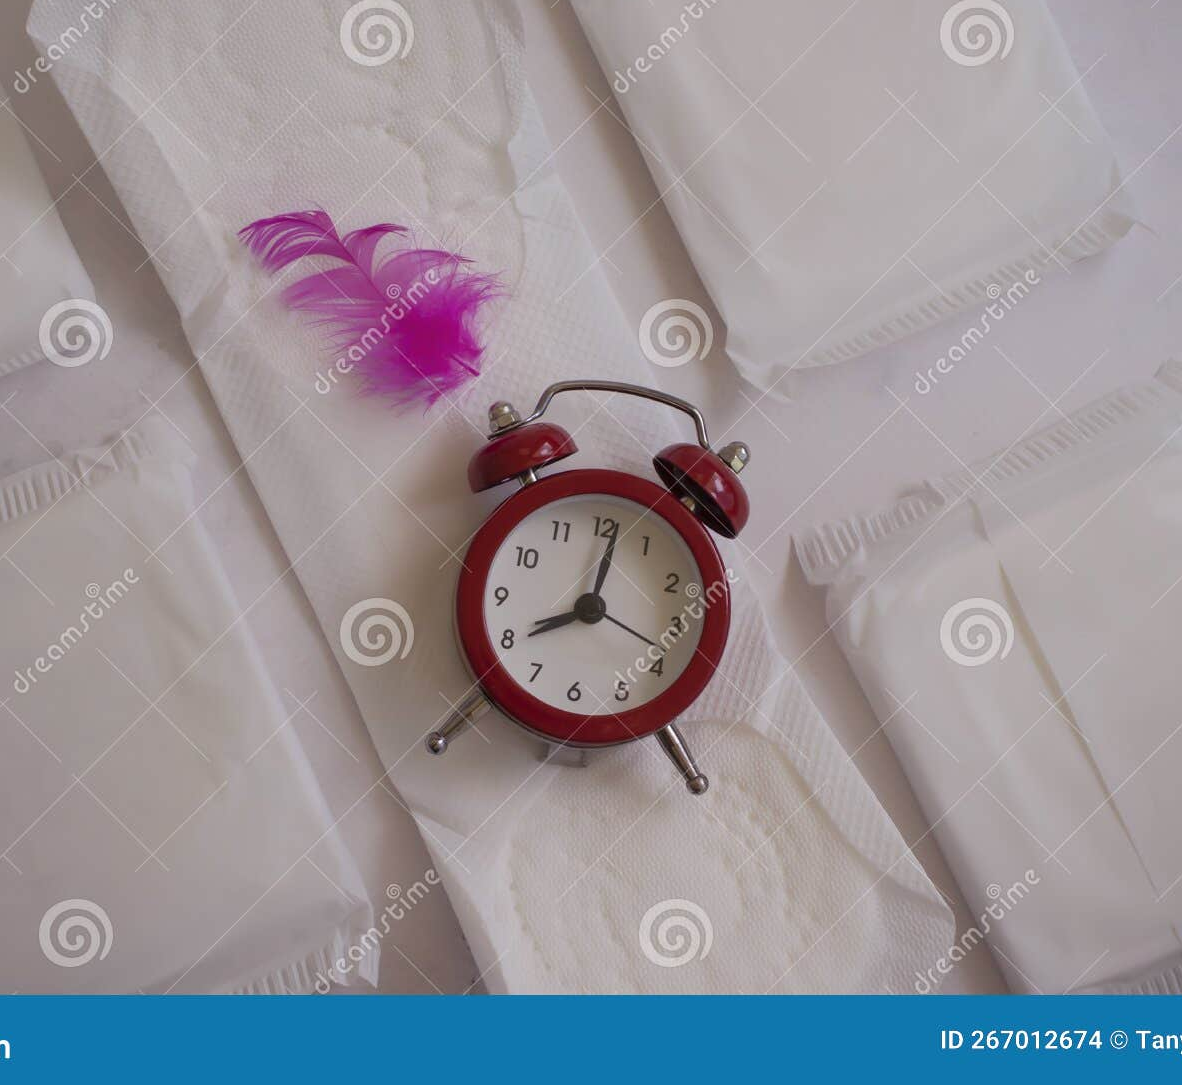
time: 8:01
